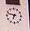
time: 6:47
